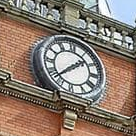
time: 1:37
